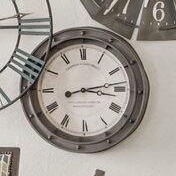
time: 3:12
